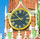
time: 8:52
